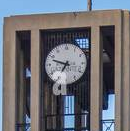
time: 6:47
